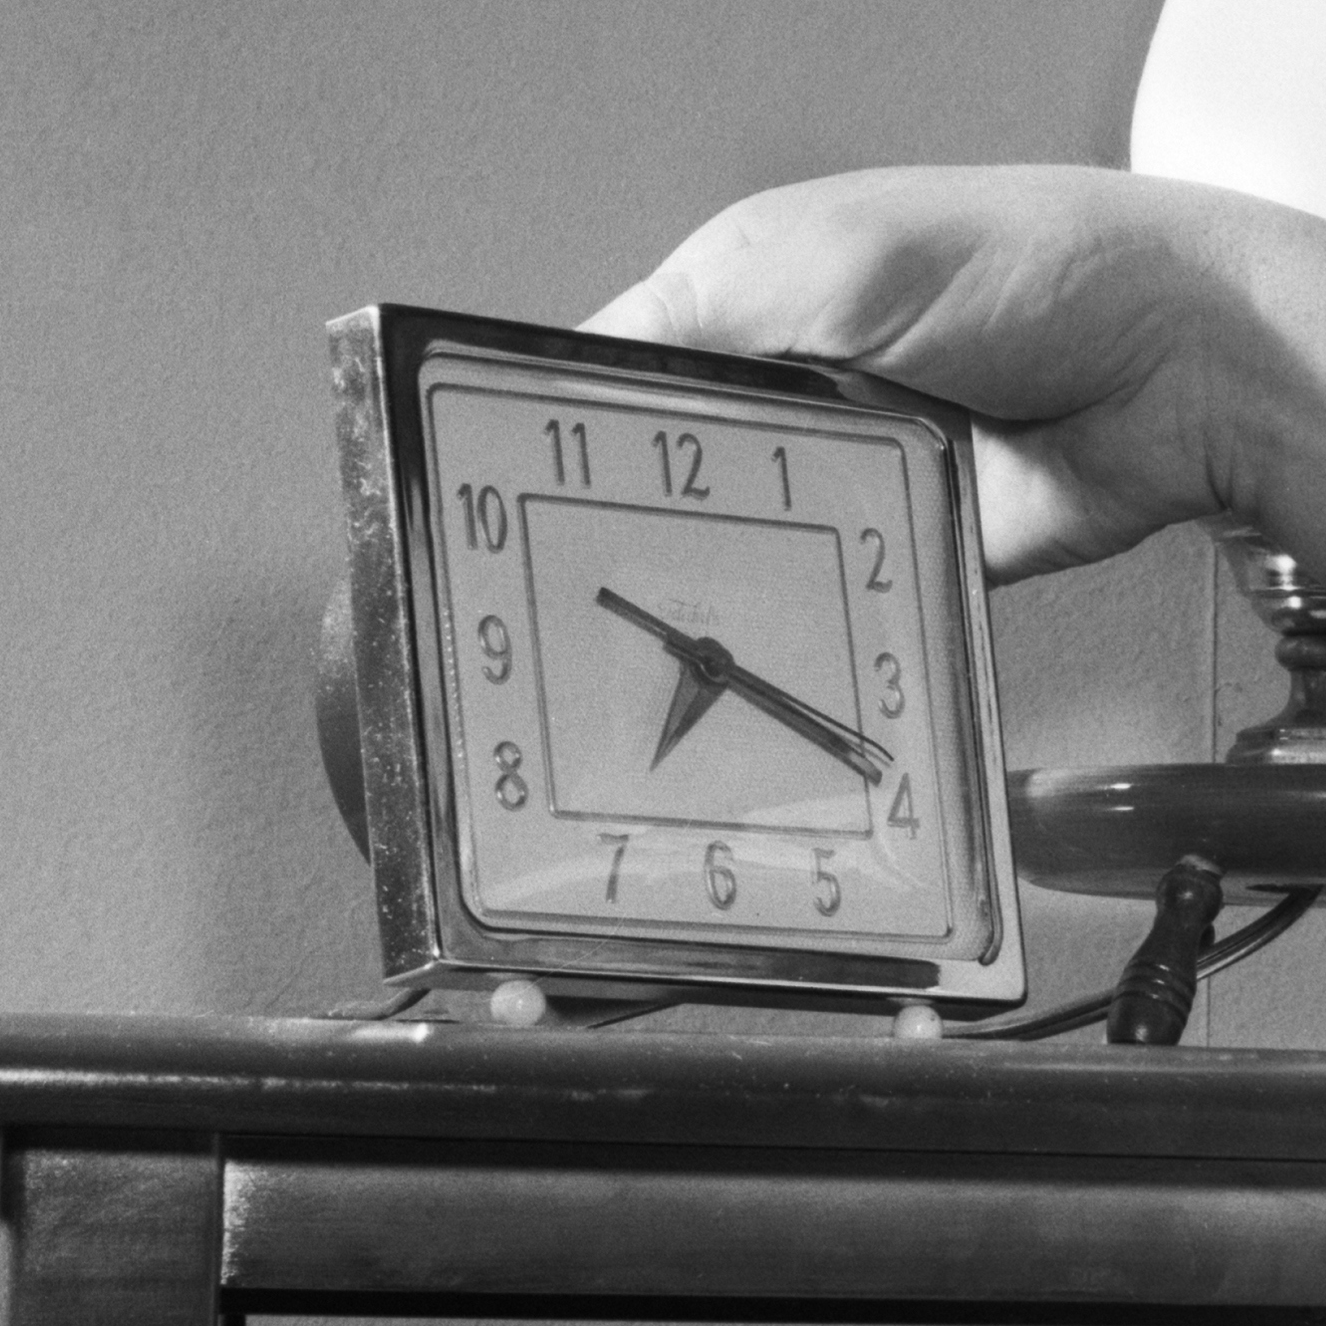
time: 7:19
